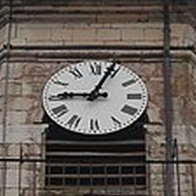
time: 9:03
